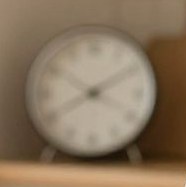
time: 8:09
